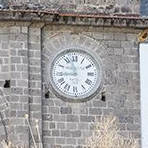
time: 8:57
